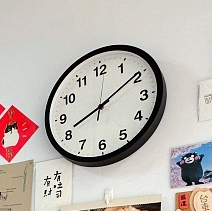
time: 8:09
